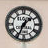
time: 1:34
